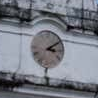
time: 3:09
